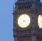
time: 4:38
